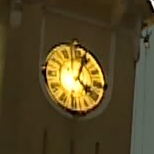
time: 4:03
